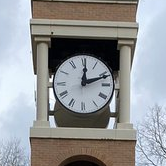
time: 12:11
